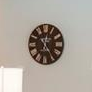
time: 12:24
